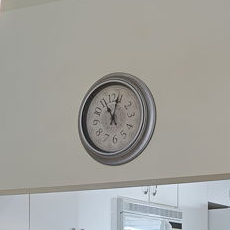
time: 11:03
